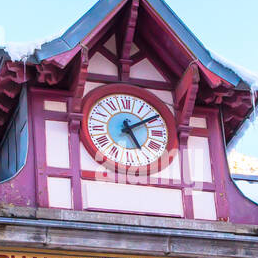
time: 5:09
